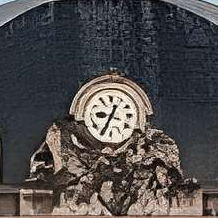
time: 12:34
